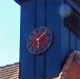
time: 1:28
